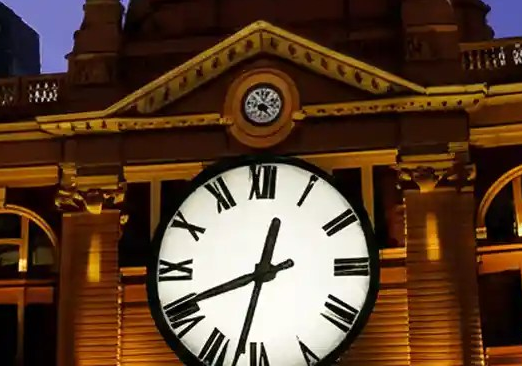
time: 12:32
